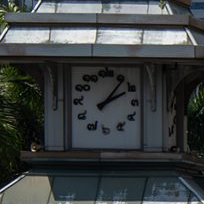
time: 2:06
